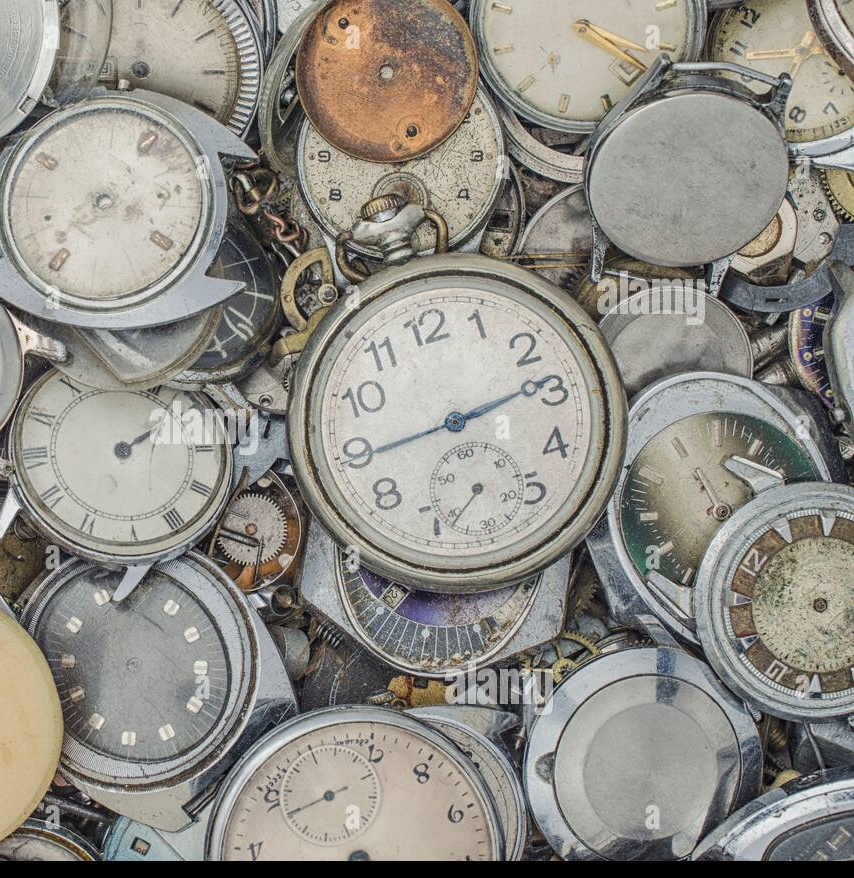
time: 2:44
